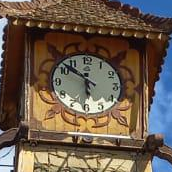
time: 5:51
